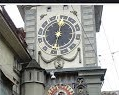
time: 12:32
